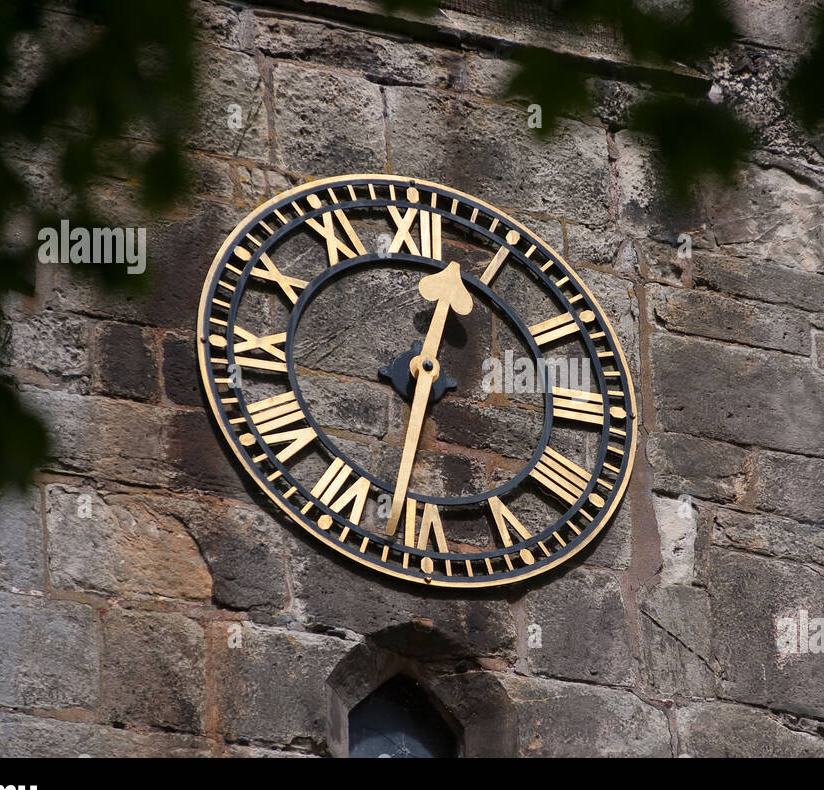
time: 12:31
